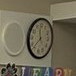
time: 11:37
